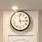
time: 2:58
